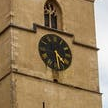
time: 4:29
